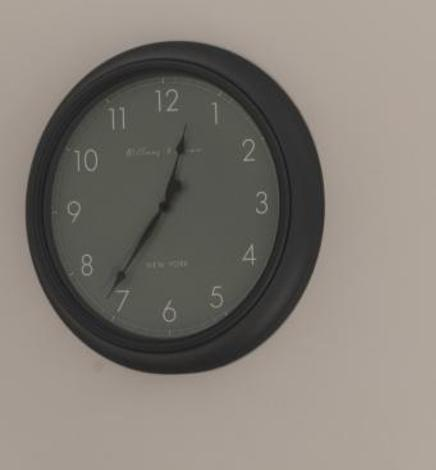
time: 12:36
